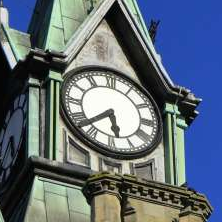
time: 5:37
